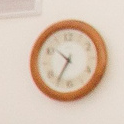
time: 10:35
